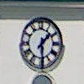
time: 1:29
